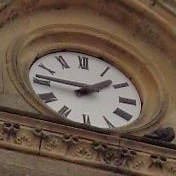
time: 1:46
